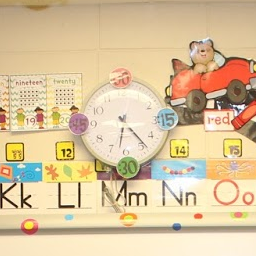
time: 6:23
